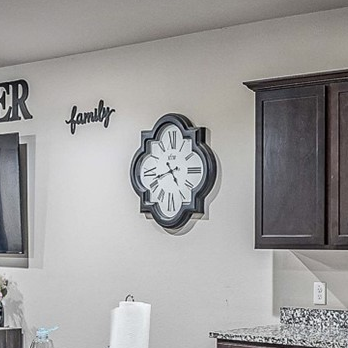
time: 4:42
